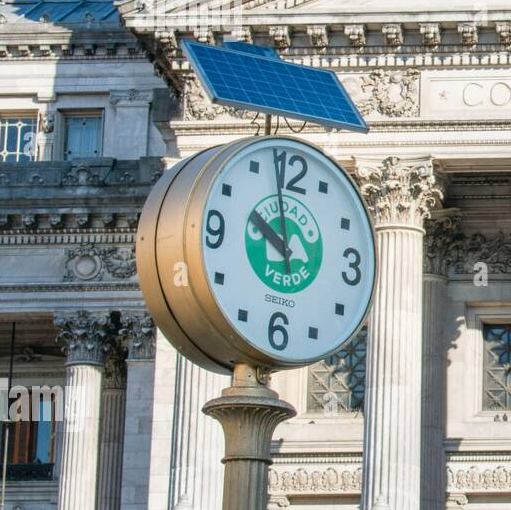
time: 9:58
